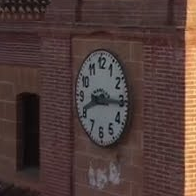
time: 8:15
